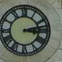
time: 3:12
